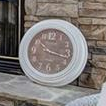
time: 10:17
